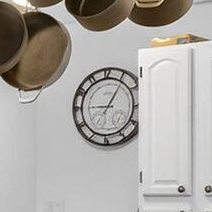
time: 9:05
